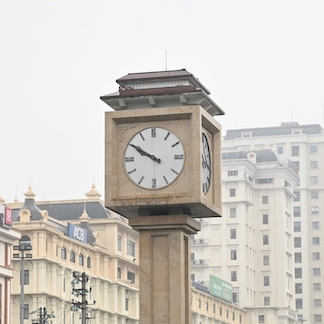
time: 9:50
